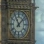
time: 11:07
